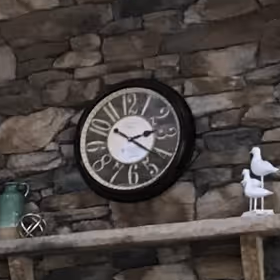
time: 2:21
